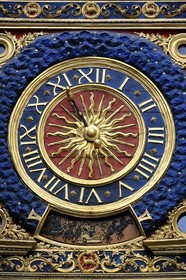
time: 8:54
